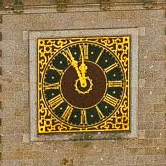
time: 11:55
